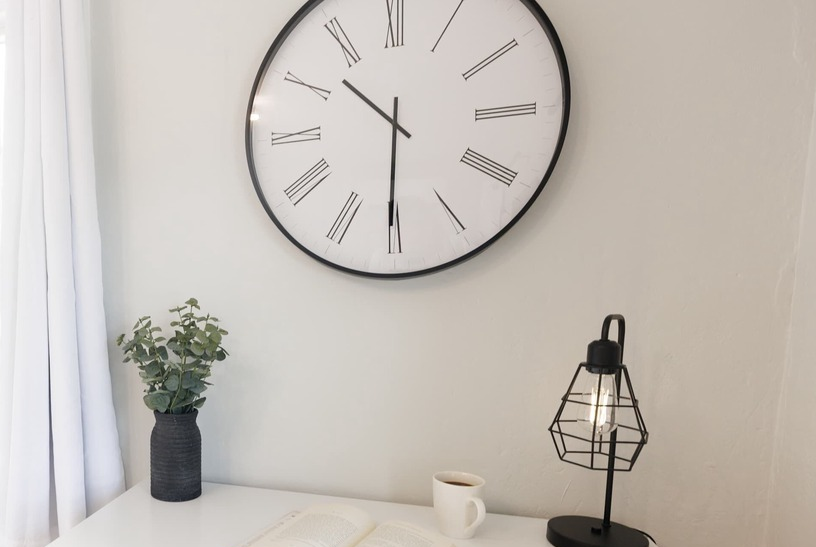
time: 10:30
